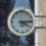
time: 4:13
